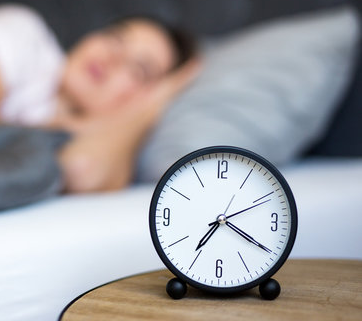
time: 7:20
